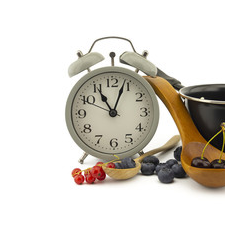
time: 11:03
